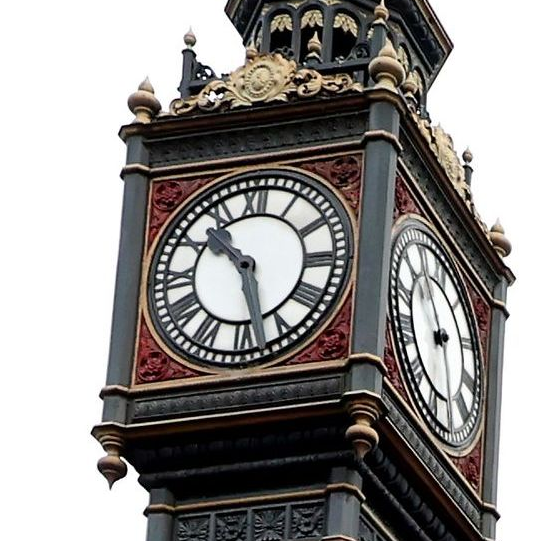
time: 10:27
